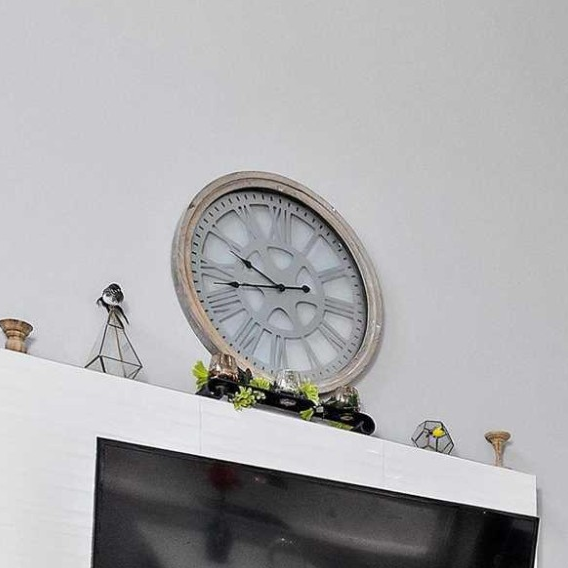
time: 9:42
